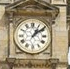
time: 1:08
